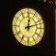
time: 12:12
